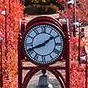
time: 1:41
